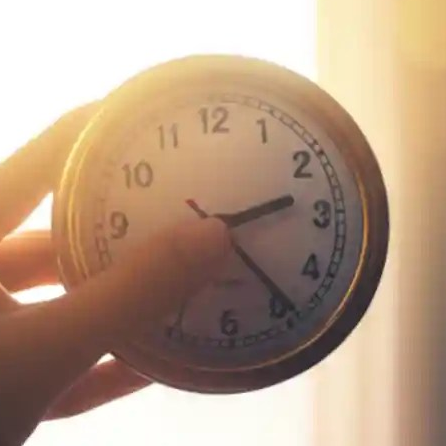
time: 2:23
